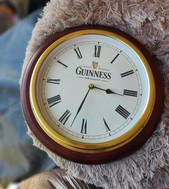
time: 3:32
